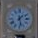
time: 1:28
